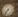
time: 7:36
